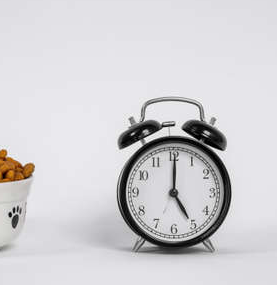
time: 5:00
